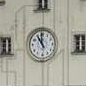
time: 10:59
